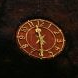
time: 11:30
